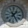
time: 1:24
